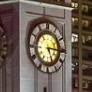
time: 5:15
